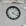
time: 4:07
